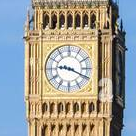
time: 9:19
